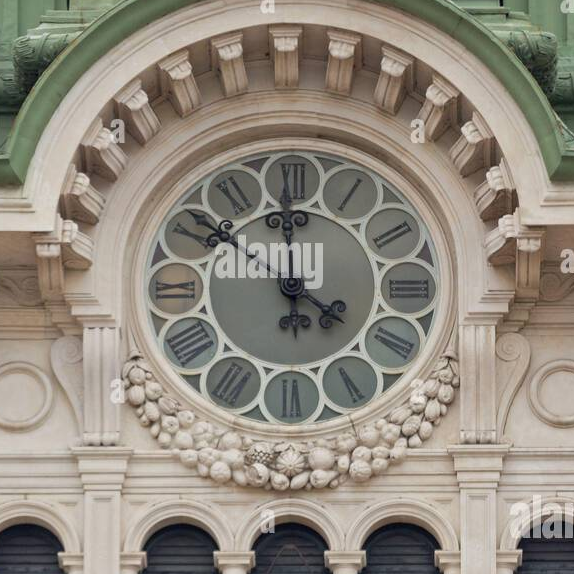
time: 11:51
